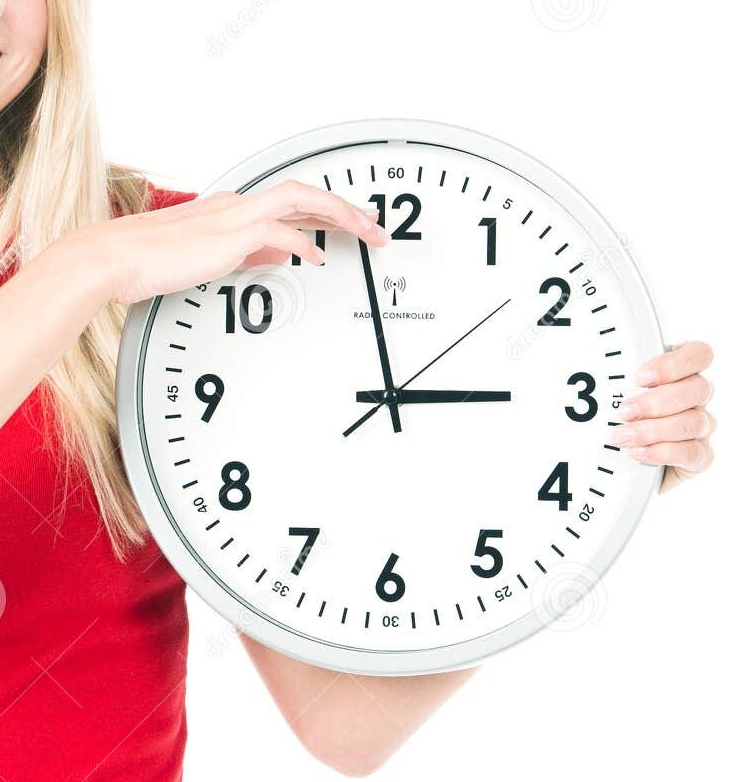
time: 2:58
